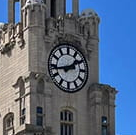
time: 1:43
